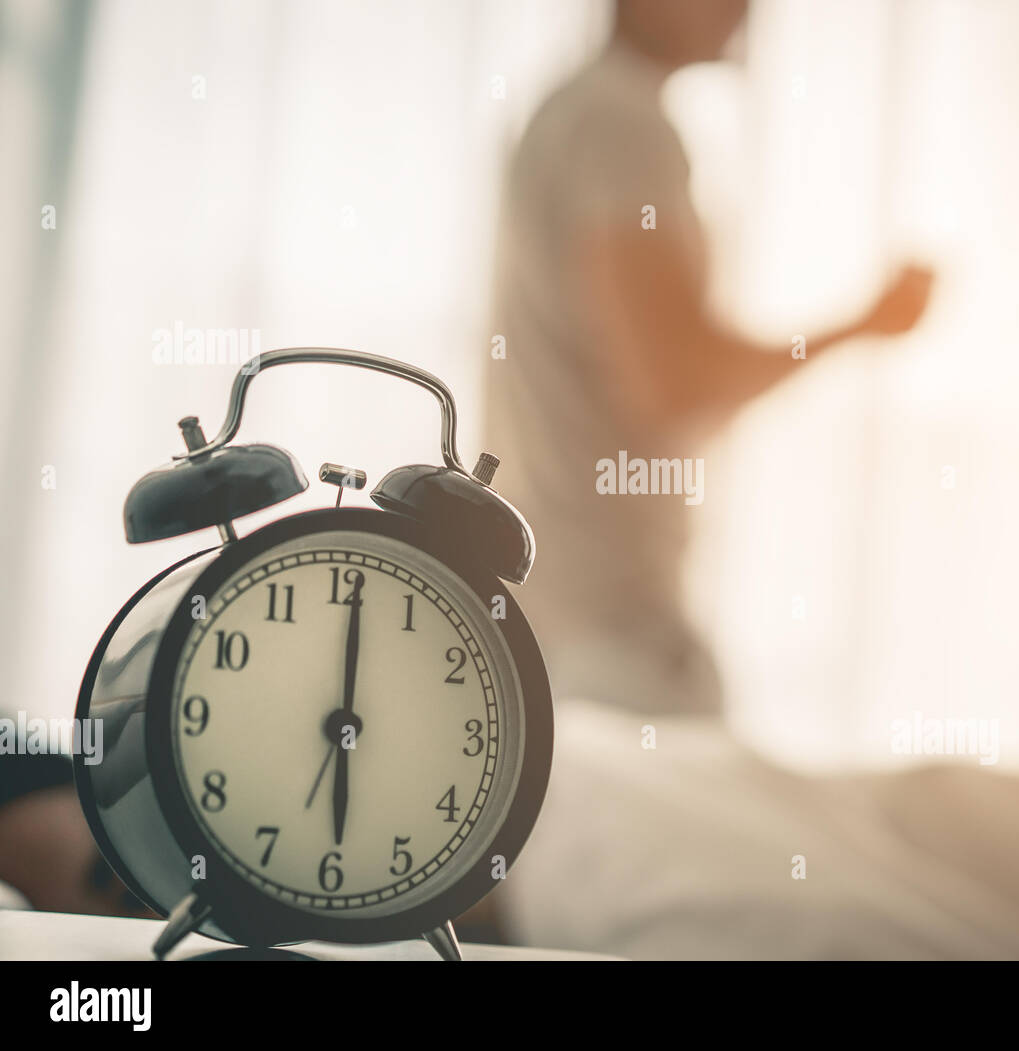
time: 6:00
